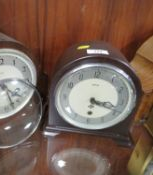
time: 3:18
